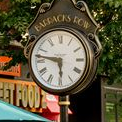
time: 5:46
